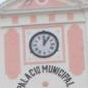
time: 12:05
